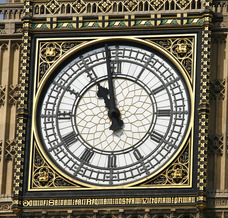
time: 10:58
